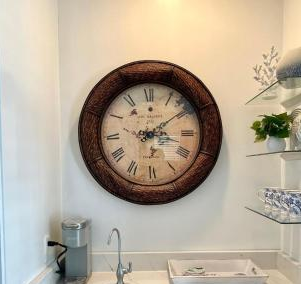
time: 3:09
